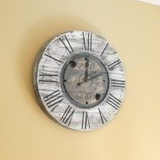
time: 12:10
